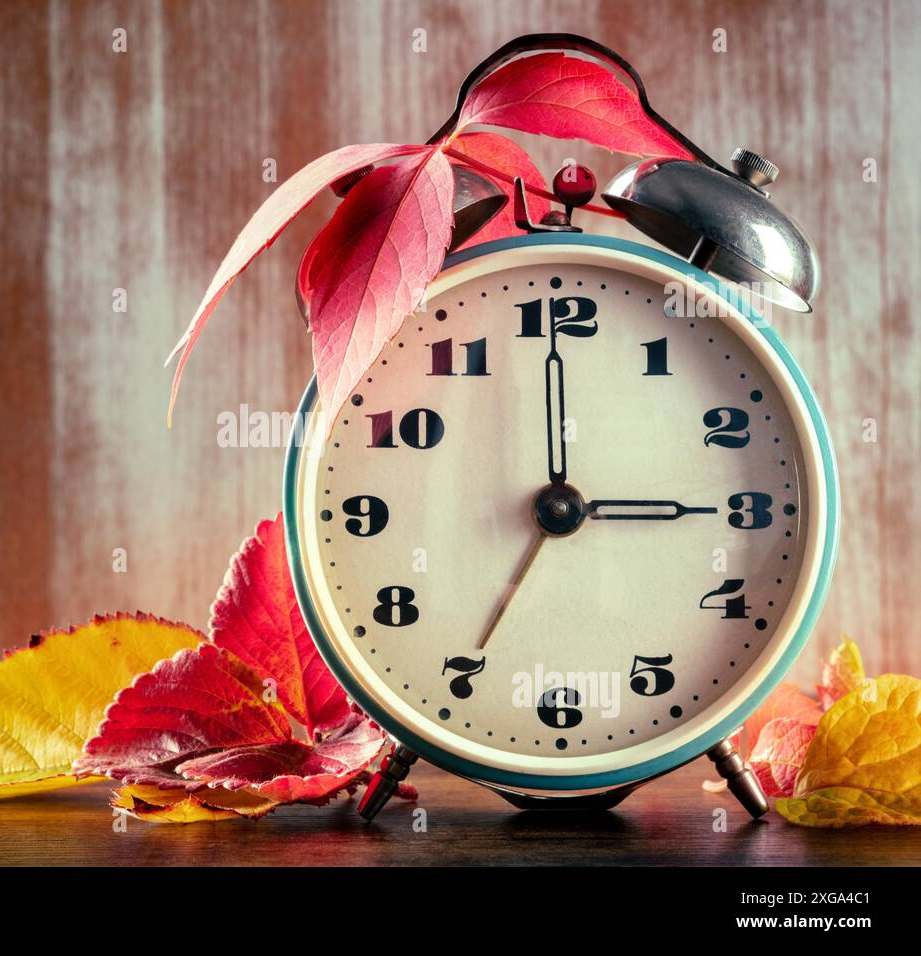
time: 2:59
